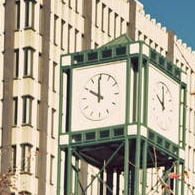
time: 9:59
